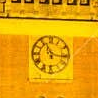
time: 11:16
